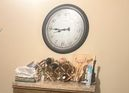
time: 8:45
